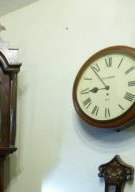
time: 8:53
